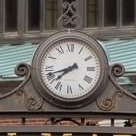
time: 7:42
